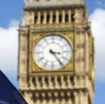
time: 3:23
